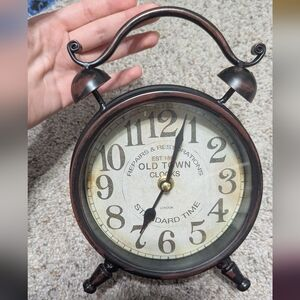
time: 7:03
